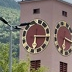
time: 6:15
